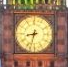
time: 8:32
